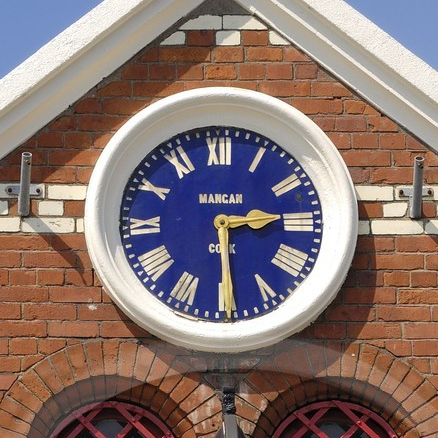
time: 2:29
